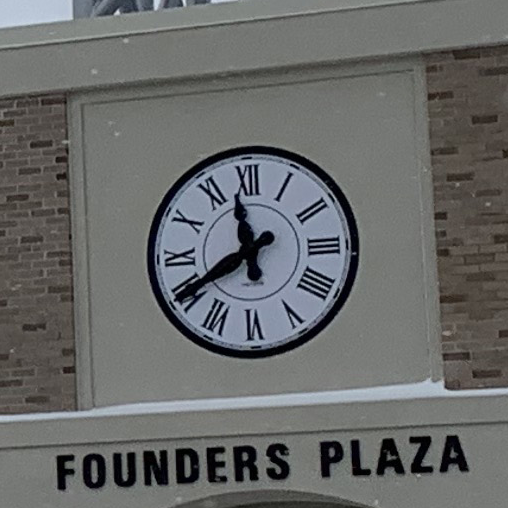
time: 11:40
